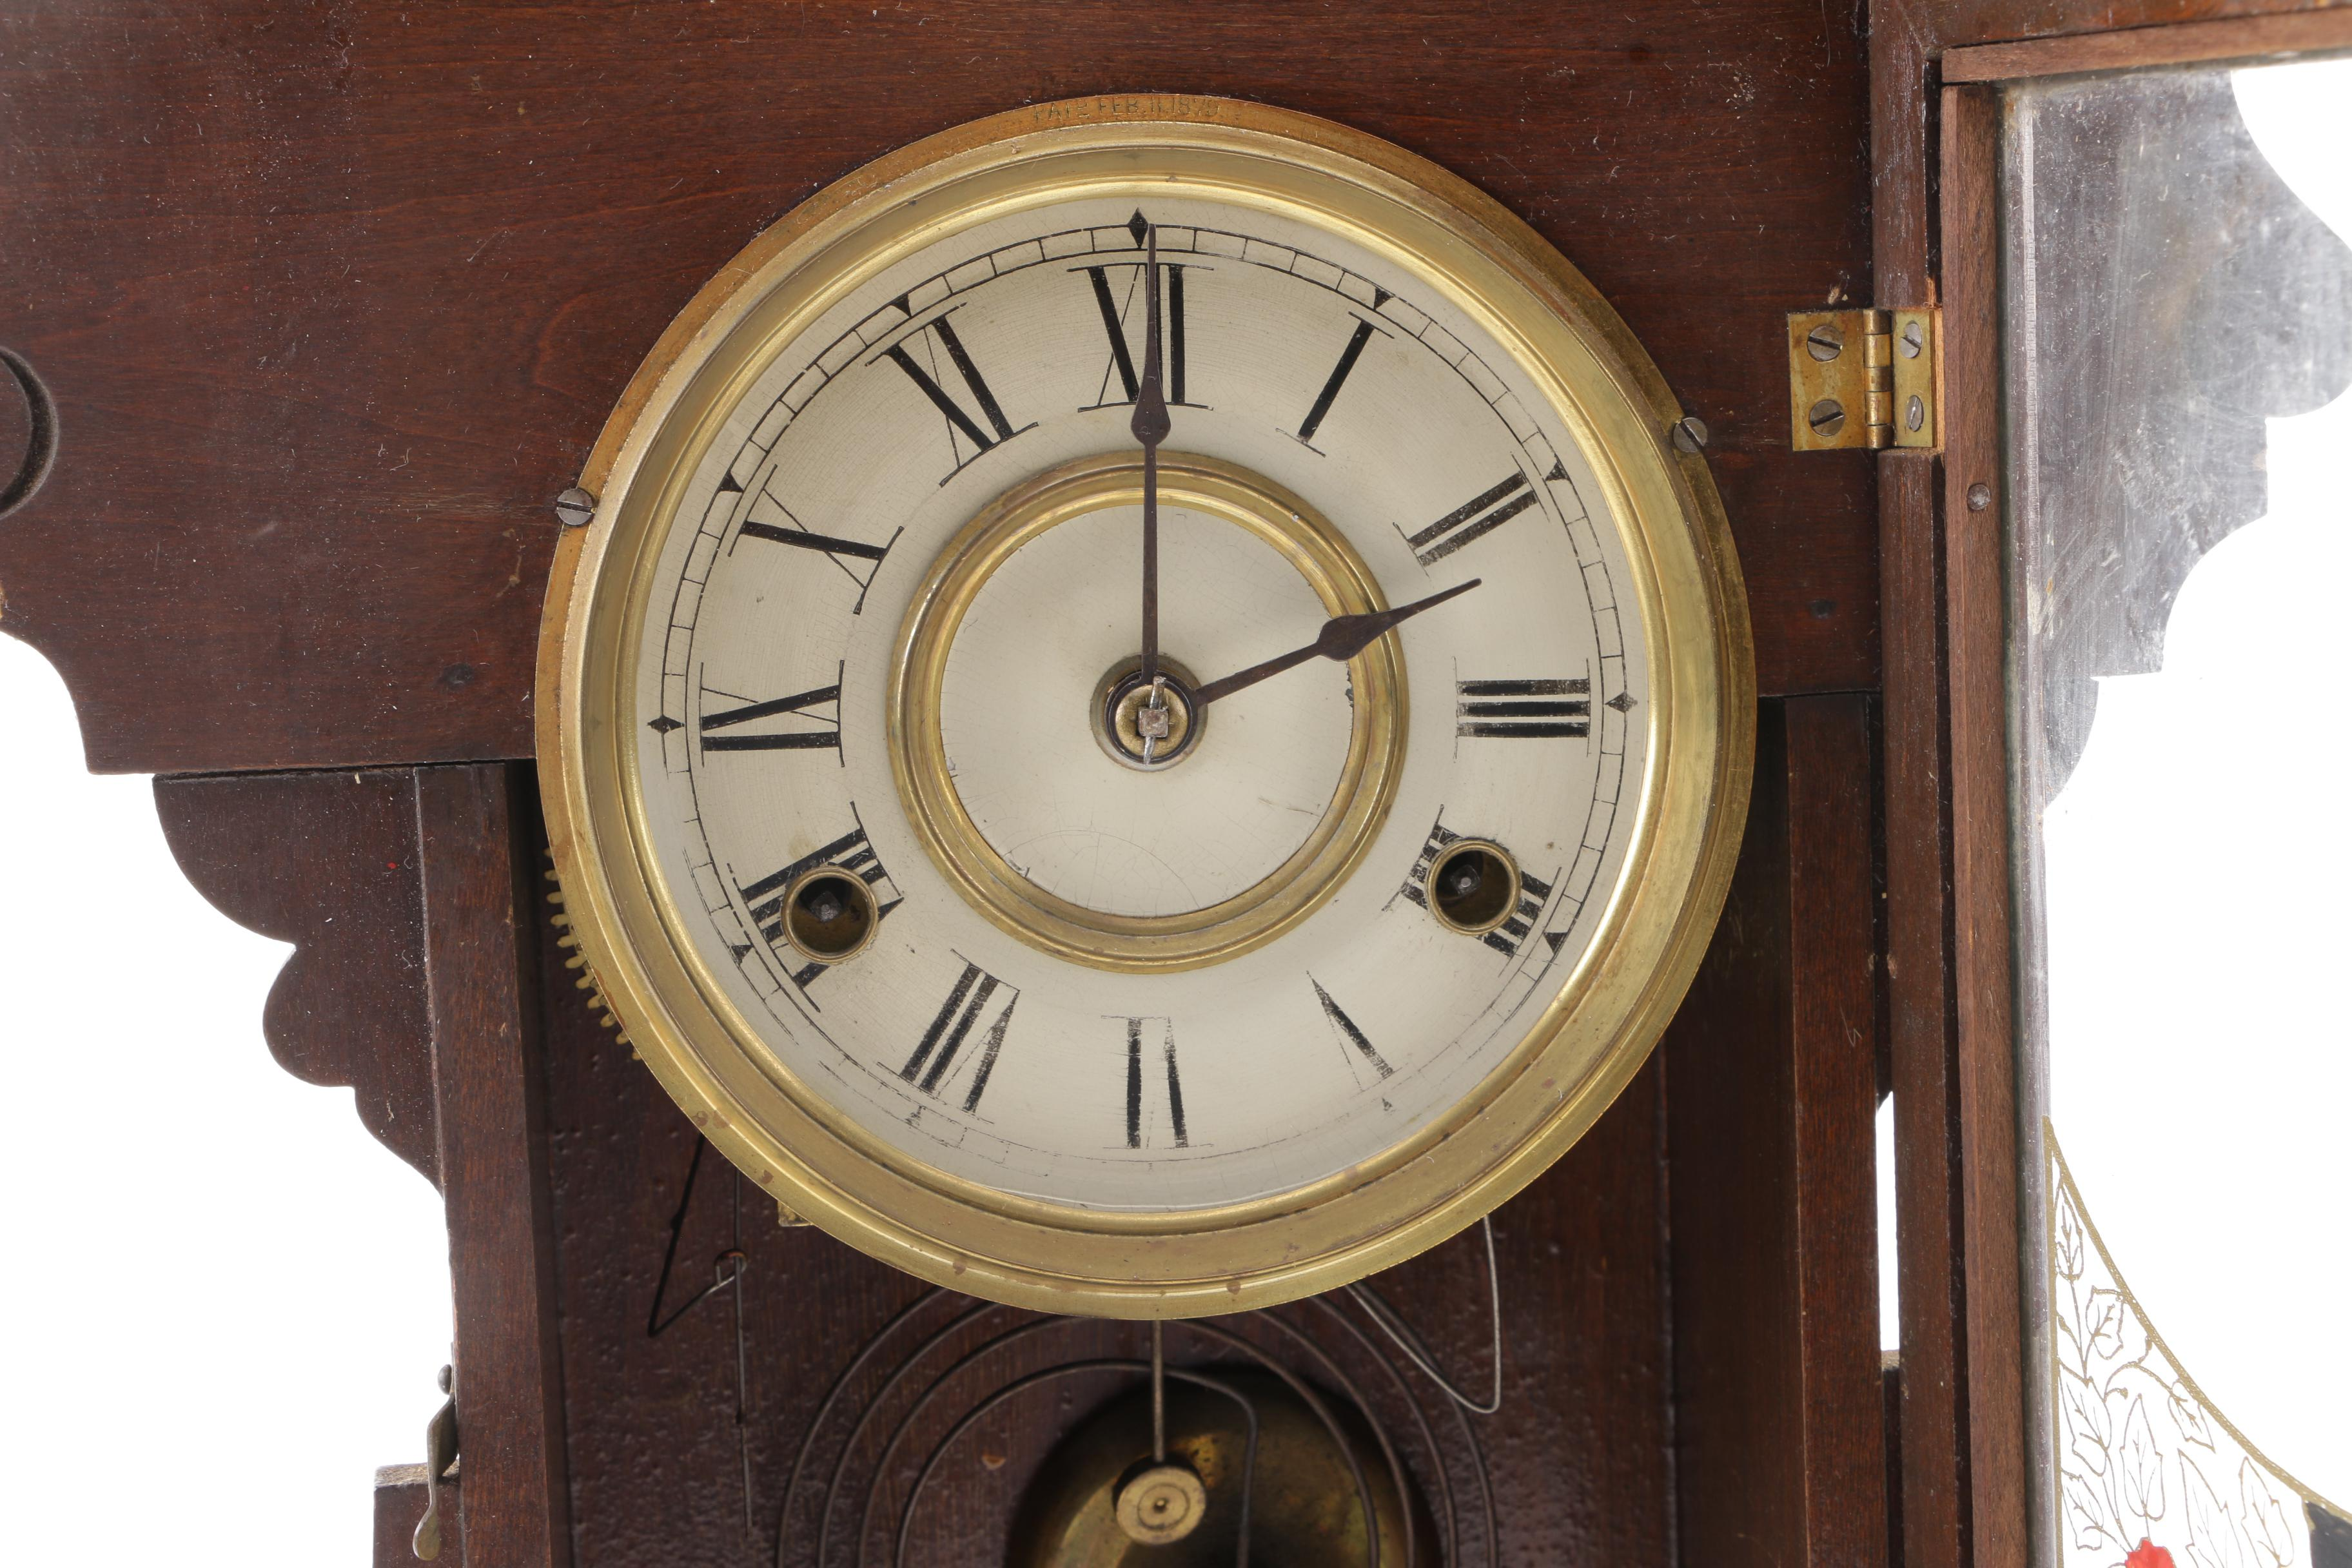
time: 2:00
